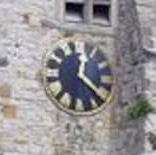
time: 12:21
